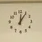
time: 12:05
